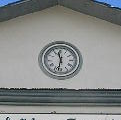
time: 11:32
